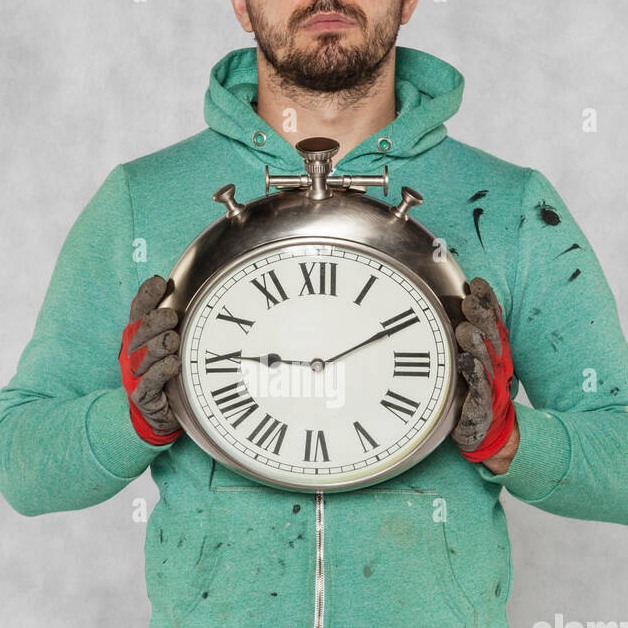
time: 9:10
